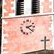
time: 2:21
